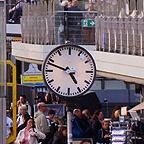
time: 4:48
